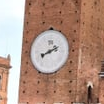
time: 8:11
